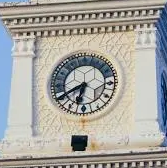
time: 6:40
